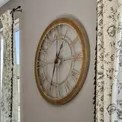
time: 12:33
